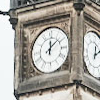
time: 12:07
